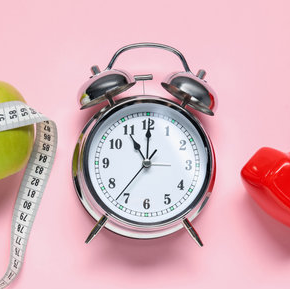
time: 11:00
